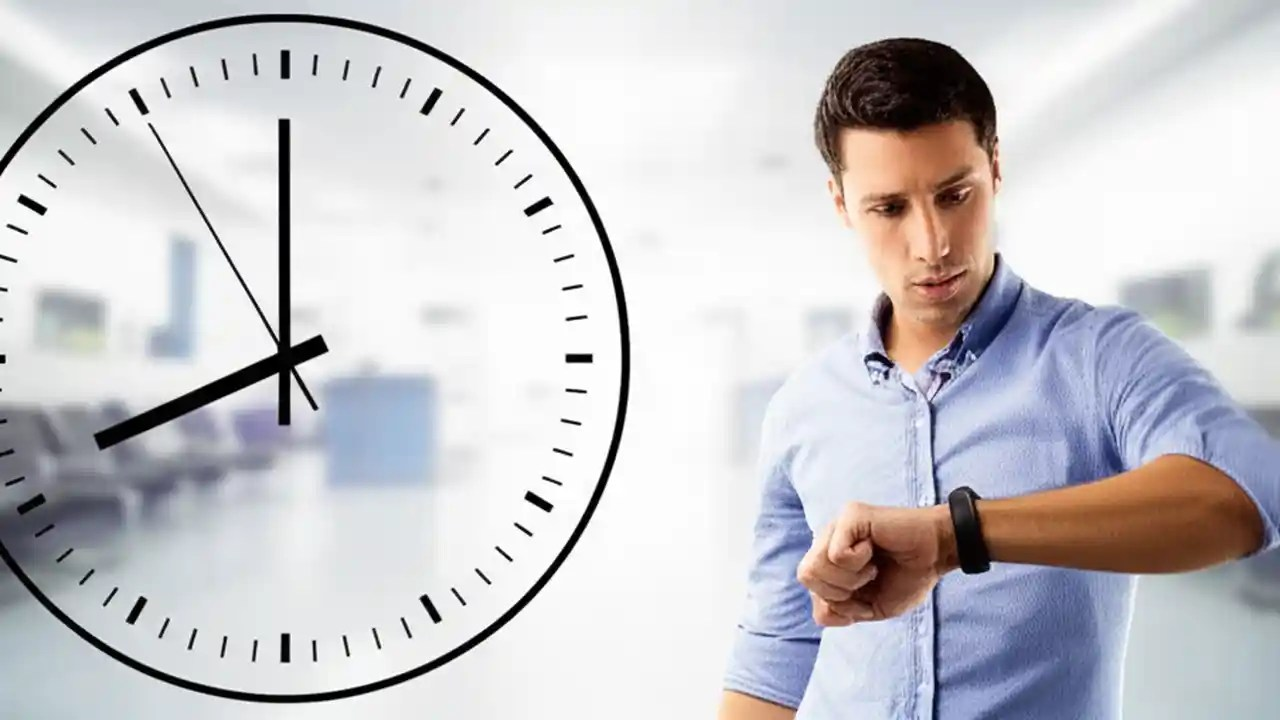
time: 8:00
